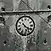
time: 10:20
